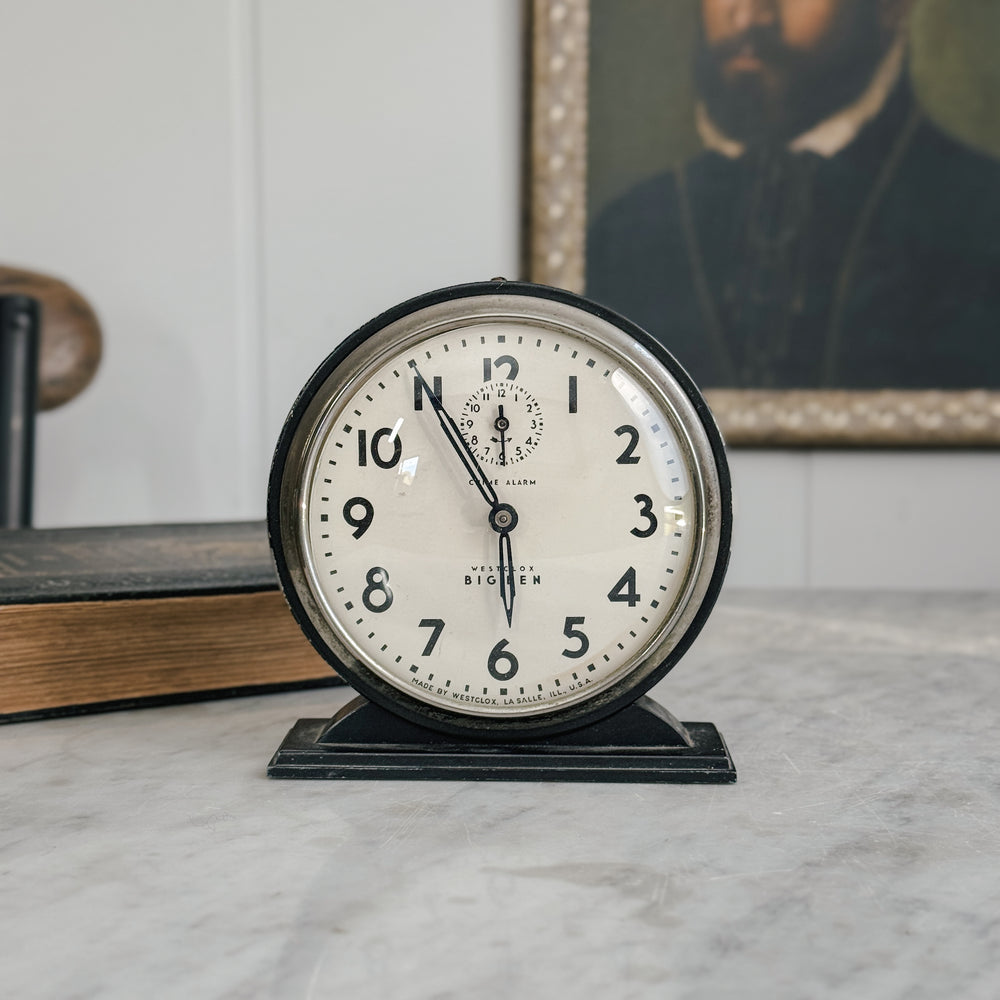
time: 5:54
